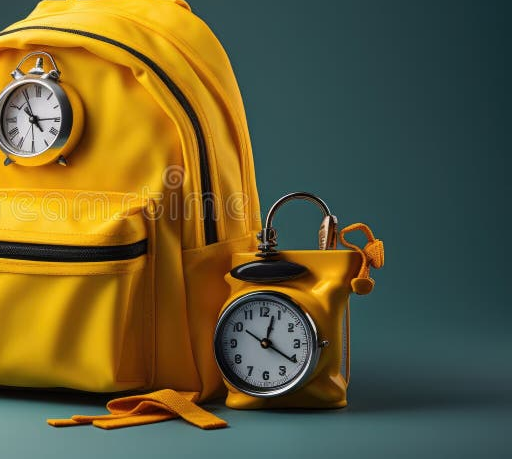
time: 4:03
